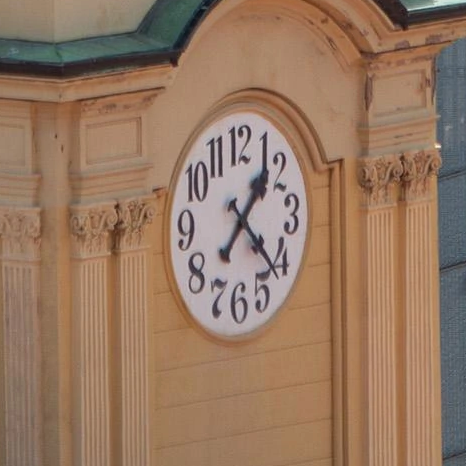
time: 1:21
